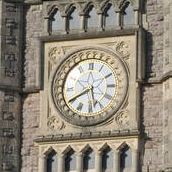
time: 5:40
